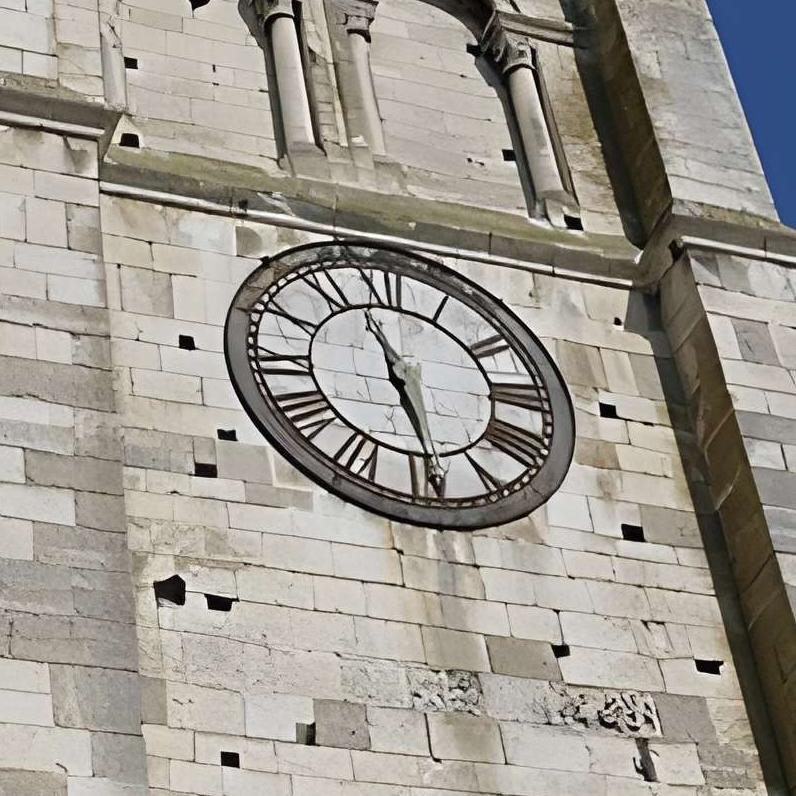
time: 11:28
